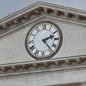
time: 2:23
